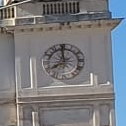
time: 7:58
